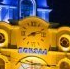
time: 8:12
